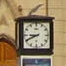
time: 8:40
